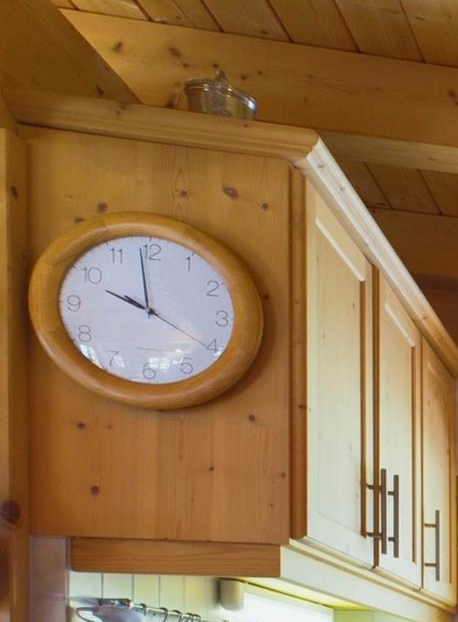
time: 9:58
